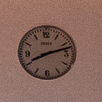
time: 8:12
